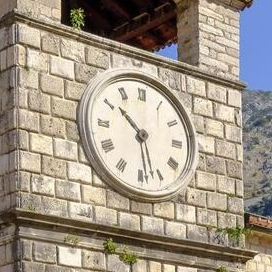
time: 10:28
